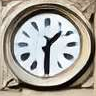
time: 1:30
